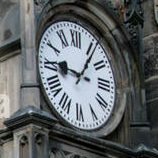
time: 9:06
